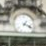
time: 1:18
